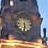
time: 5:30
